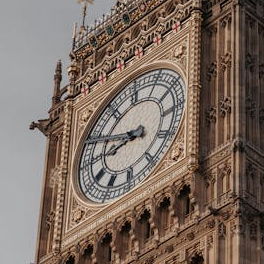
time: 8:49
